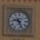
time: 9:26
